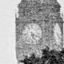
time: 5:18
